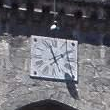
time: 1:57
